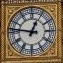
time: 12:46
